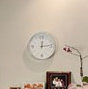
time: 12:13
